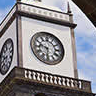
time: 9:31
